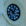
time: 10:04
